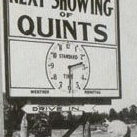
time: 2:30
